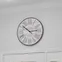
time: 10:13
